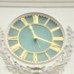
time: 11:18
